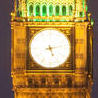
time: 5:13
